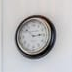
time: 2:52
